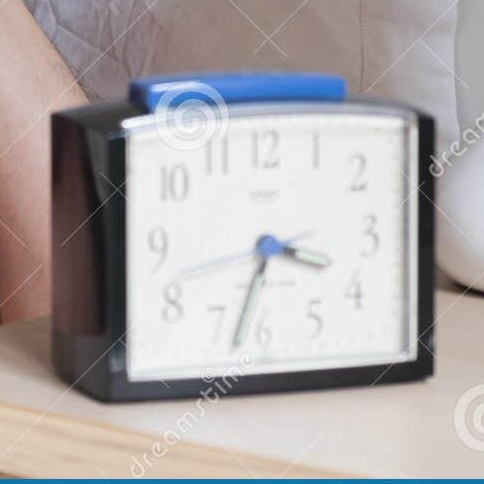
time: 3:33
